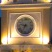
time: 6:47
